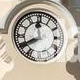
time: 11:40
